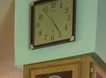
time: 4:53
